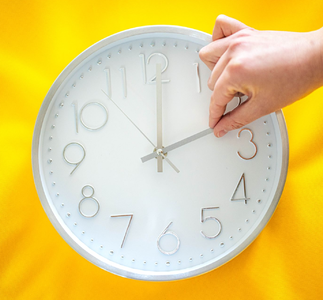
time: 12:11
